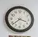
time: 3:38
